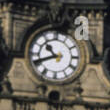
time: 10:41
